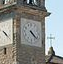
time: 4:21
